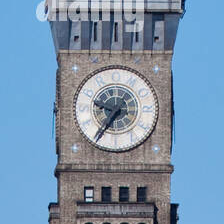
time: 9:35
